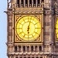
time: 6:02
